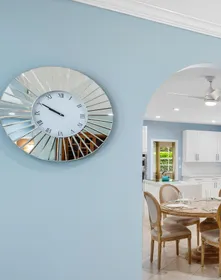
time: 9:50
